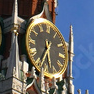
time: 5:33
